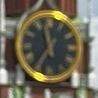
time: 11:35
